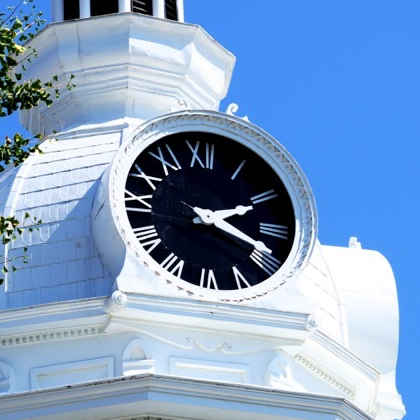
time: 2:18
